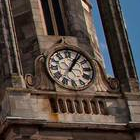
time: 1:06
